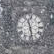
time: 11:28
